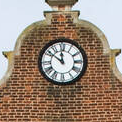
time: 11:51
